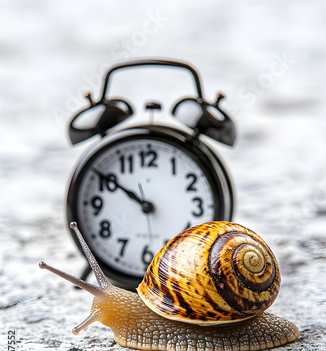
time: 9:50
